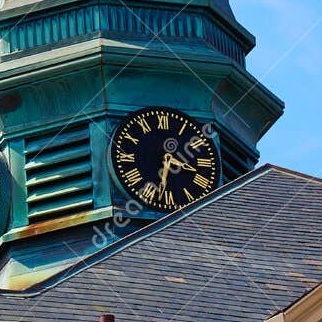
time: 3:32
